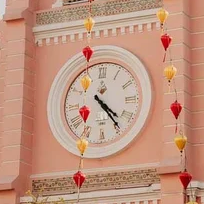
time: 4:23
